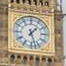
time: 1:27
